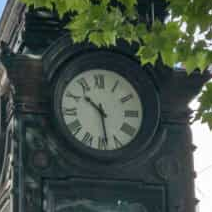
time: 10:28
